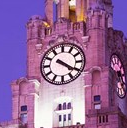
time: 4:20
